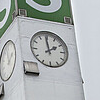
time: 1:59
